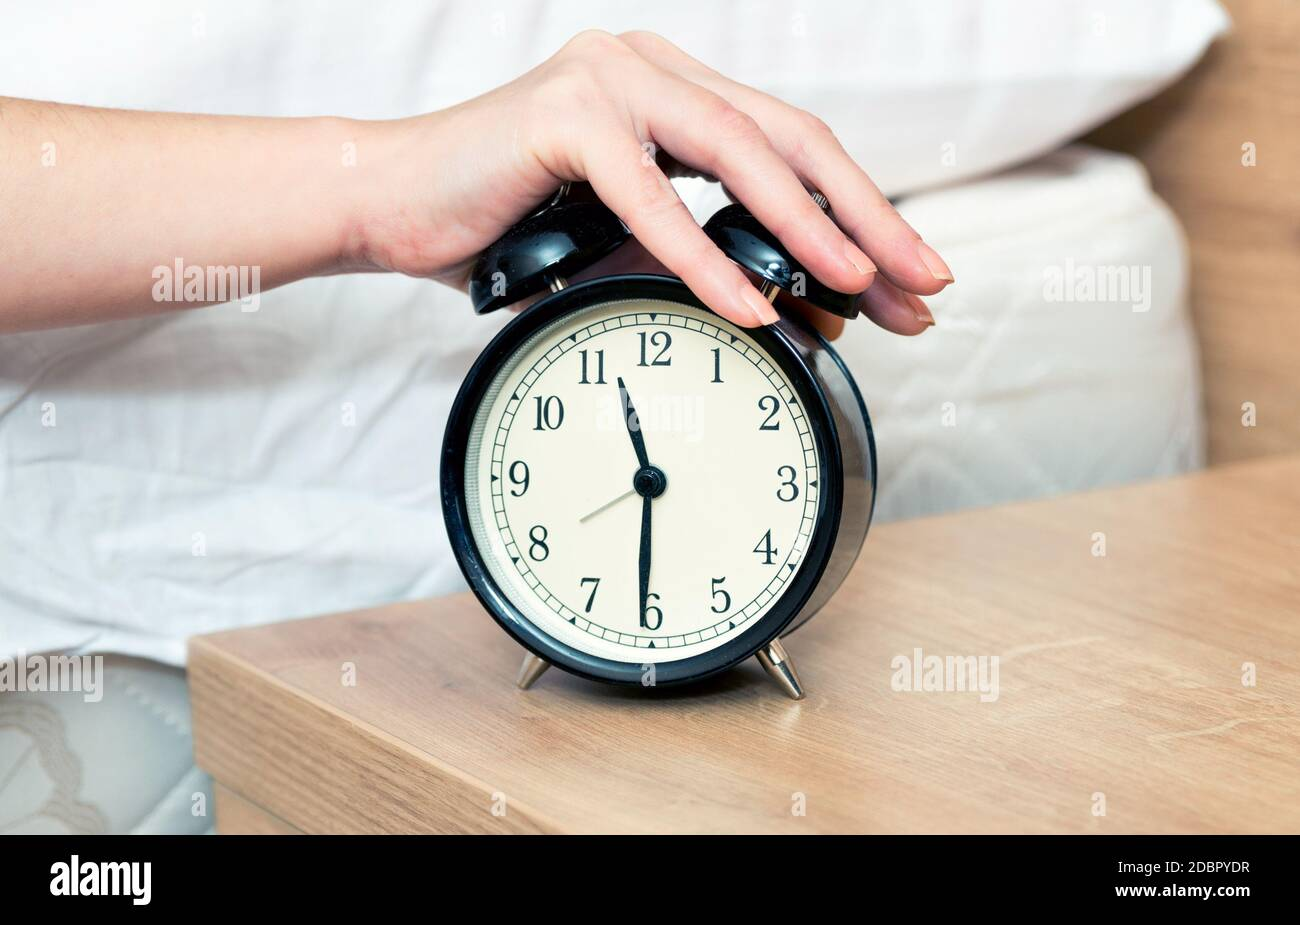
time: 11:30
